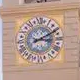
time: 3:09
